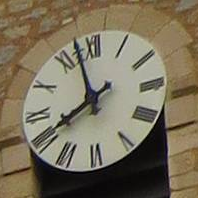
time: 7:57
